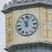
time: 11:02
